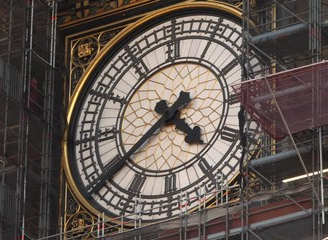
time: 4:38
